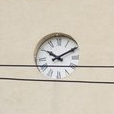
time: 10:10
